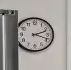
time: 2:18
